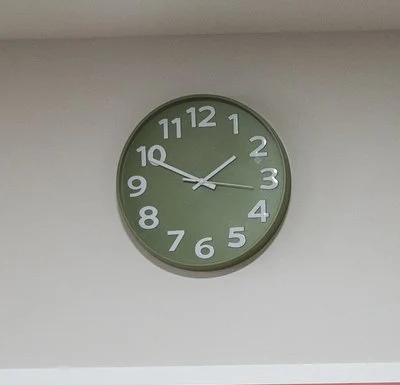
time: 1:49
